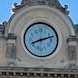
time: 8:12
